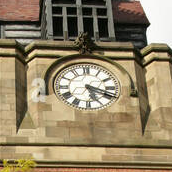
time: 5:18
